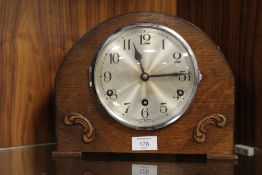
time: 11:14
